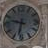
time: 9:32
